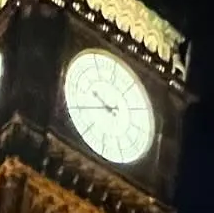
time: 9:40
